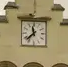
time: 11:37
